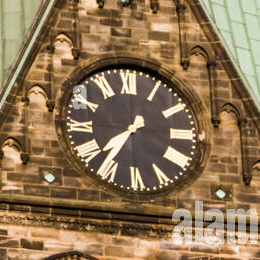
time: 7:36
